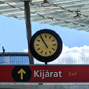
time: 10:54
